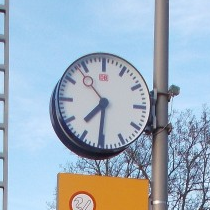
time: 7:30
